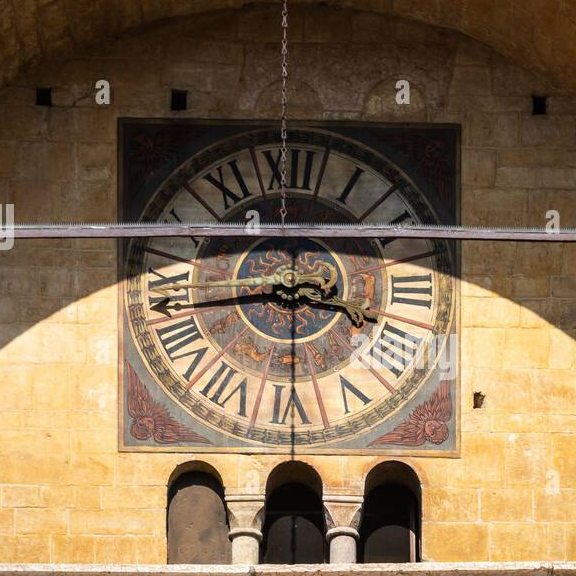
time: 3:43
